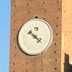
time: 10:21
